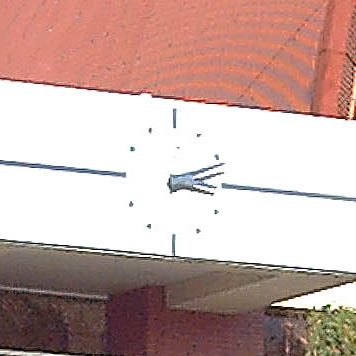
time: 3:12
